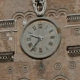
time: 9:36
